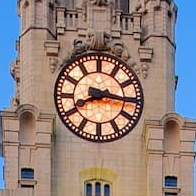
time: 8:16
